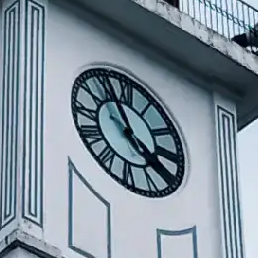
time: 3:56
